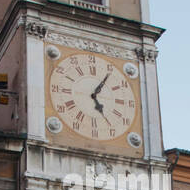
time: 5:05
